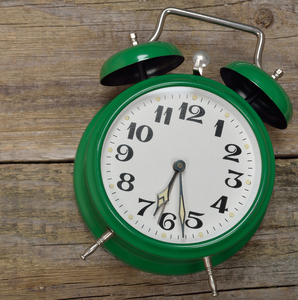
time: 6:27
